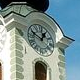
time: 12:49
